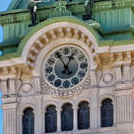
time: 12:55
